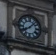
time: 8:07
